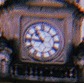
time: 10:45
